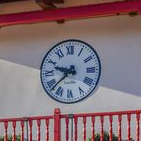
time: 9:38
